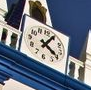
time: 4:04
